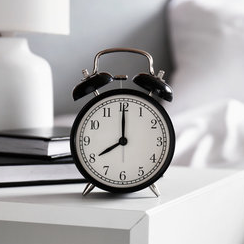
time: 8:00
